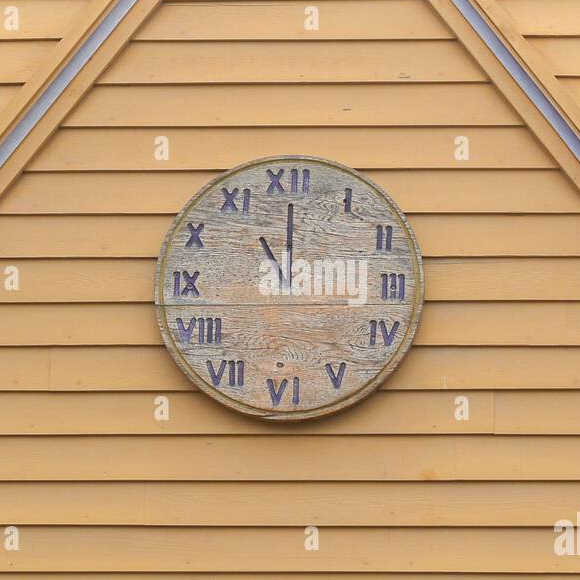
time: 11:00
